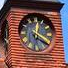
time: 12:19
